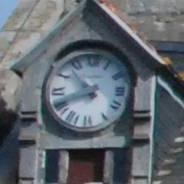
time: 10:41
